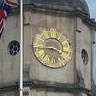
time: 3:44
